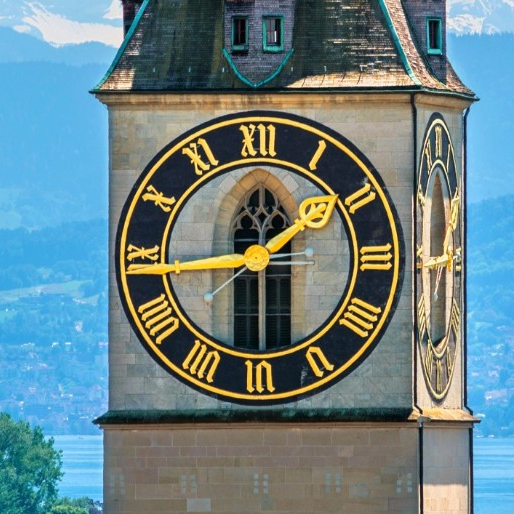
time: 1:43
